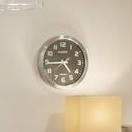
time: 4:44
